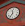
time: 11:35
